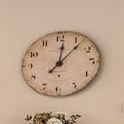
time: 12:06
